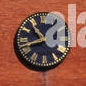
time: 10:42
